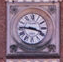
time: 3:45
